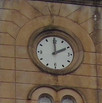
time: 1:59
